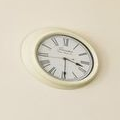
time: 3:29
